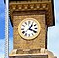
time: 1:18
